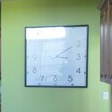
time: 3:09
